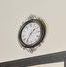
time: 1:35
